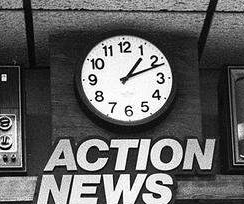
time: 1:11
